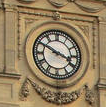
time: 3:50
